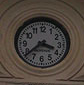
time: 3:38
